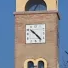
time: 10:22
